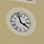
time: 3:57
